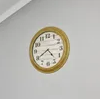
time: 4:39
